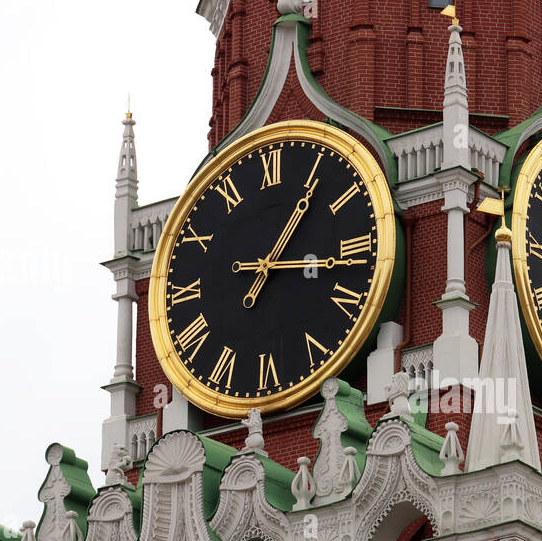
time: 1:16
